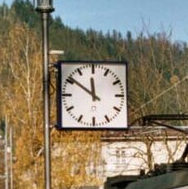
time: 11:51
